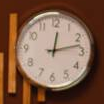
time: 12:12
